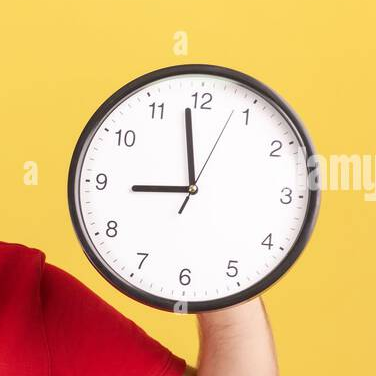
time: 8:58
